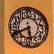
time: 5:40
